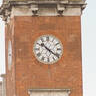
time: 10:21
